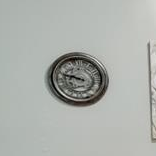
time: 9:47
